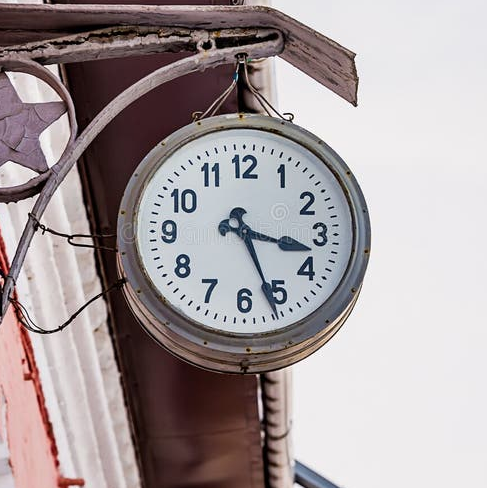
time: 3:26
